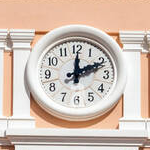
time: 12:10
